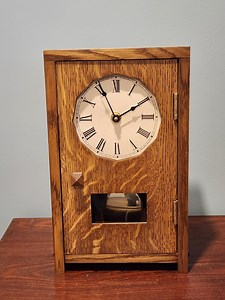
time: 1:56
